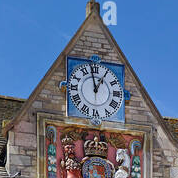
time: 12:58
